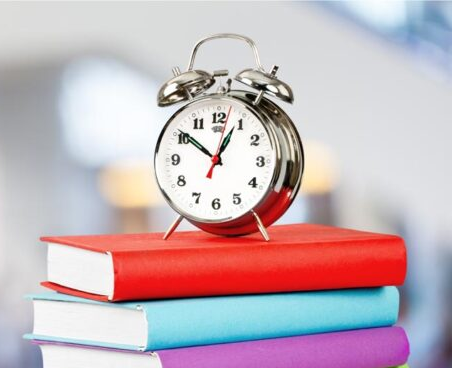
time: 12:51
